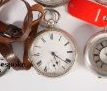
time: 5:21
